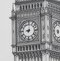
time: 9:01
